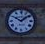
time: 10:08
